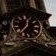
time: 12:37
